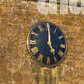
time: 4:59
